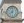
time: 8:01
